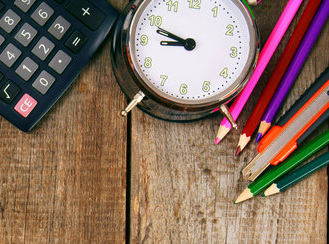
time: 8:48
